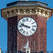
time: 9:47
